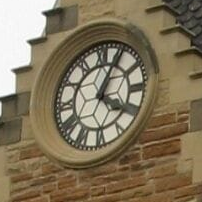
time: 4:04
